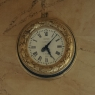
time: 5:06
